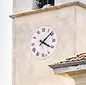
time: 4:08
